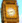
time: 2:42
